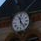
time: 11:23
